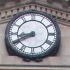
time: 8:40
